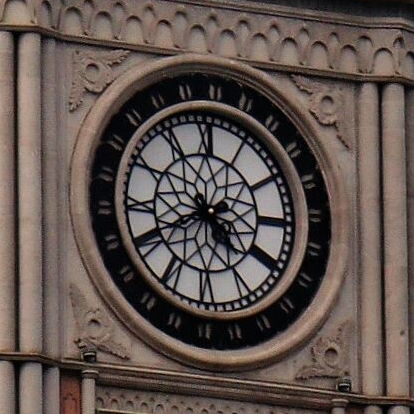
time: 4:40
